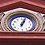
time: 1:03
